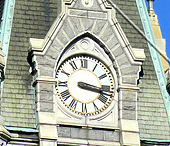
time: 3:17
